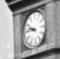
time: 9:45
